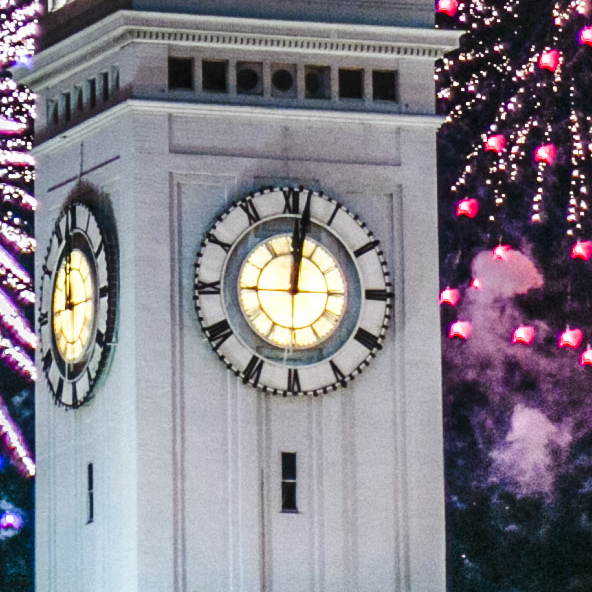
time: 12:01
